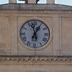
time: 12:57
